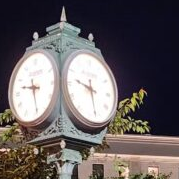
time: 9:27
